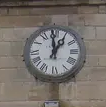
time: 12:59
